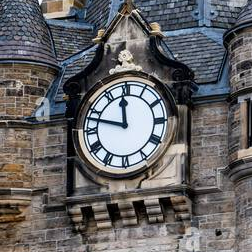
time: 11:47
